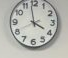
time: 3:58
